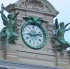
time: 9:12
